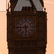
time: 5:44
